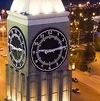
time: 9:13
